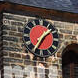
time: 1:35
